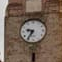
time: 9:36
